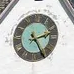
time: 2:24
